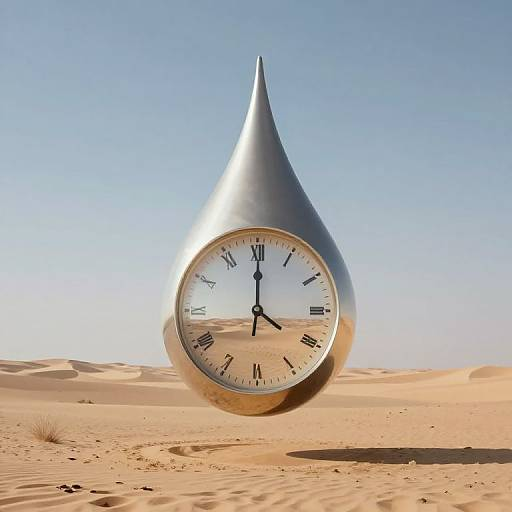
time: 4:00
